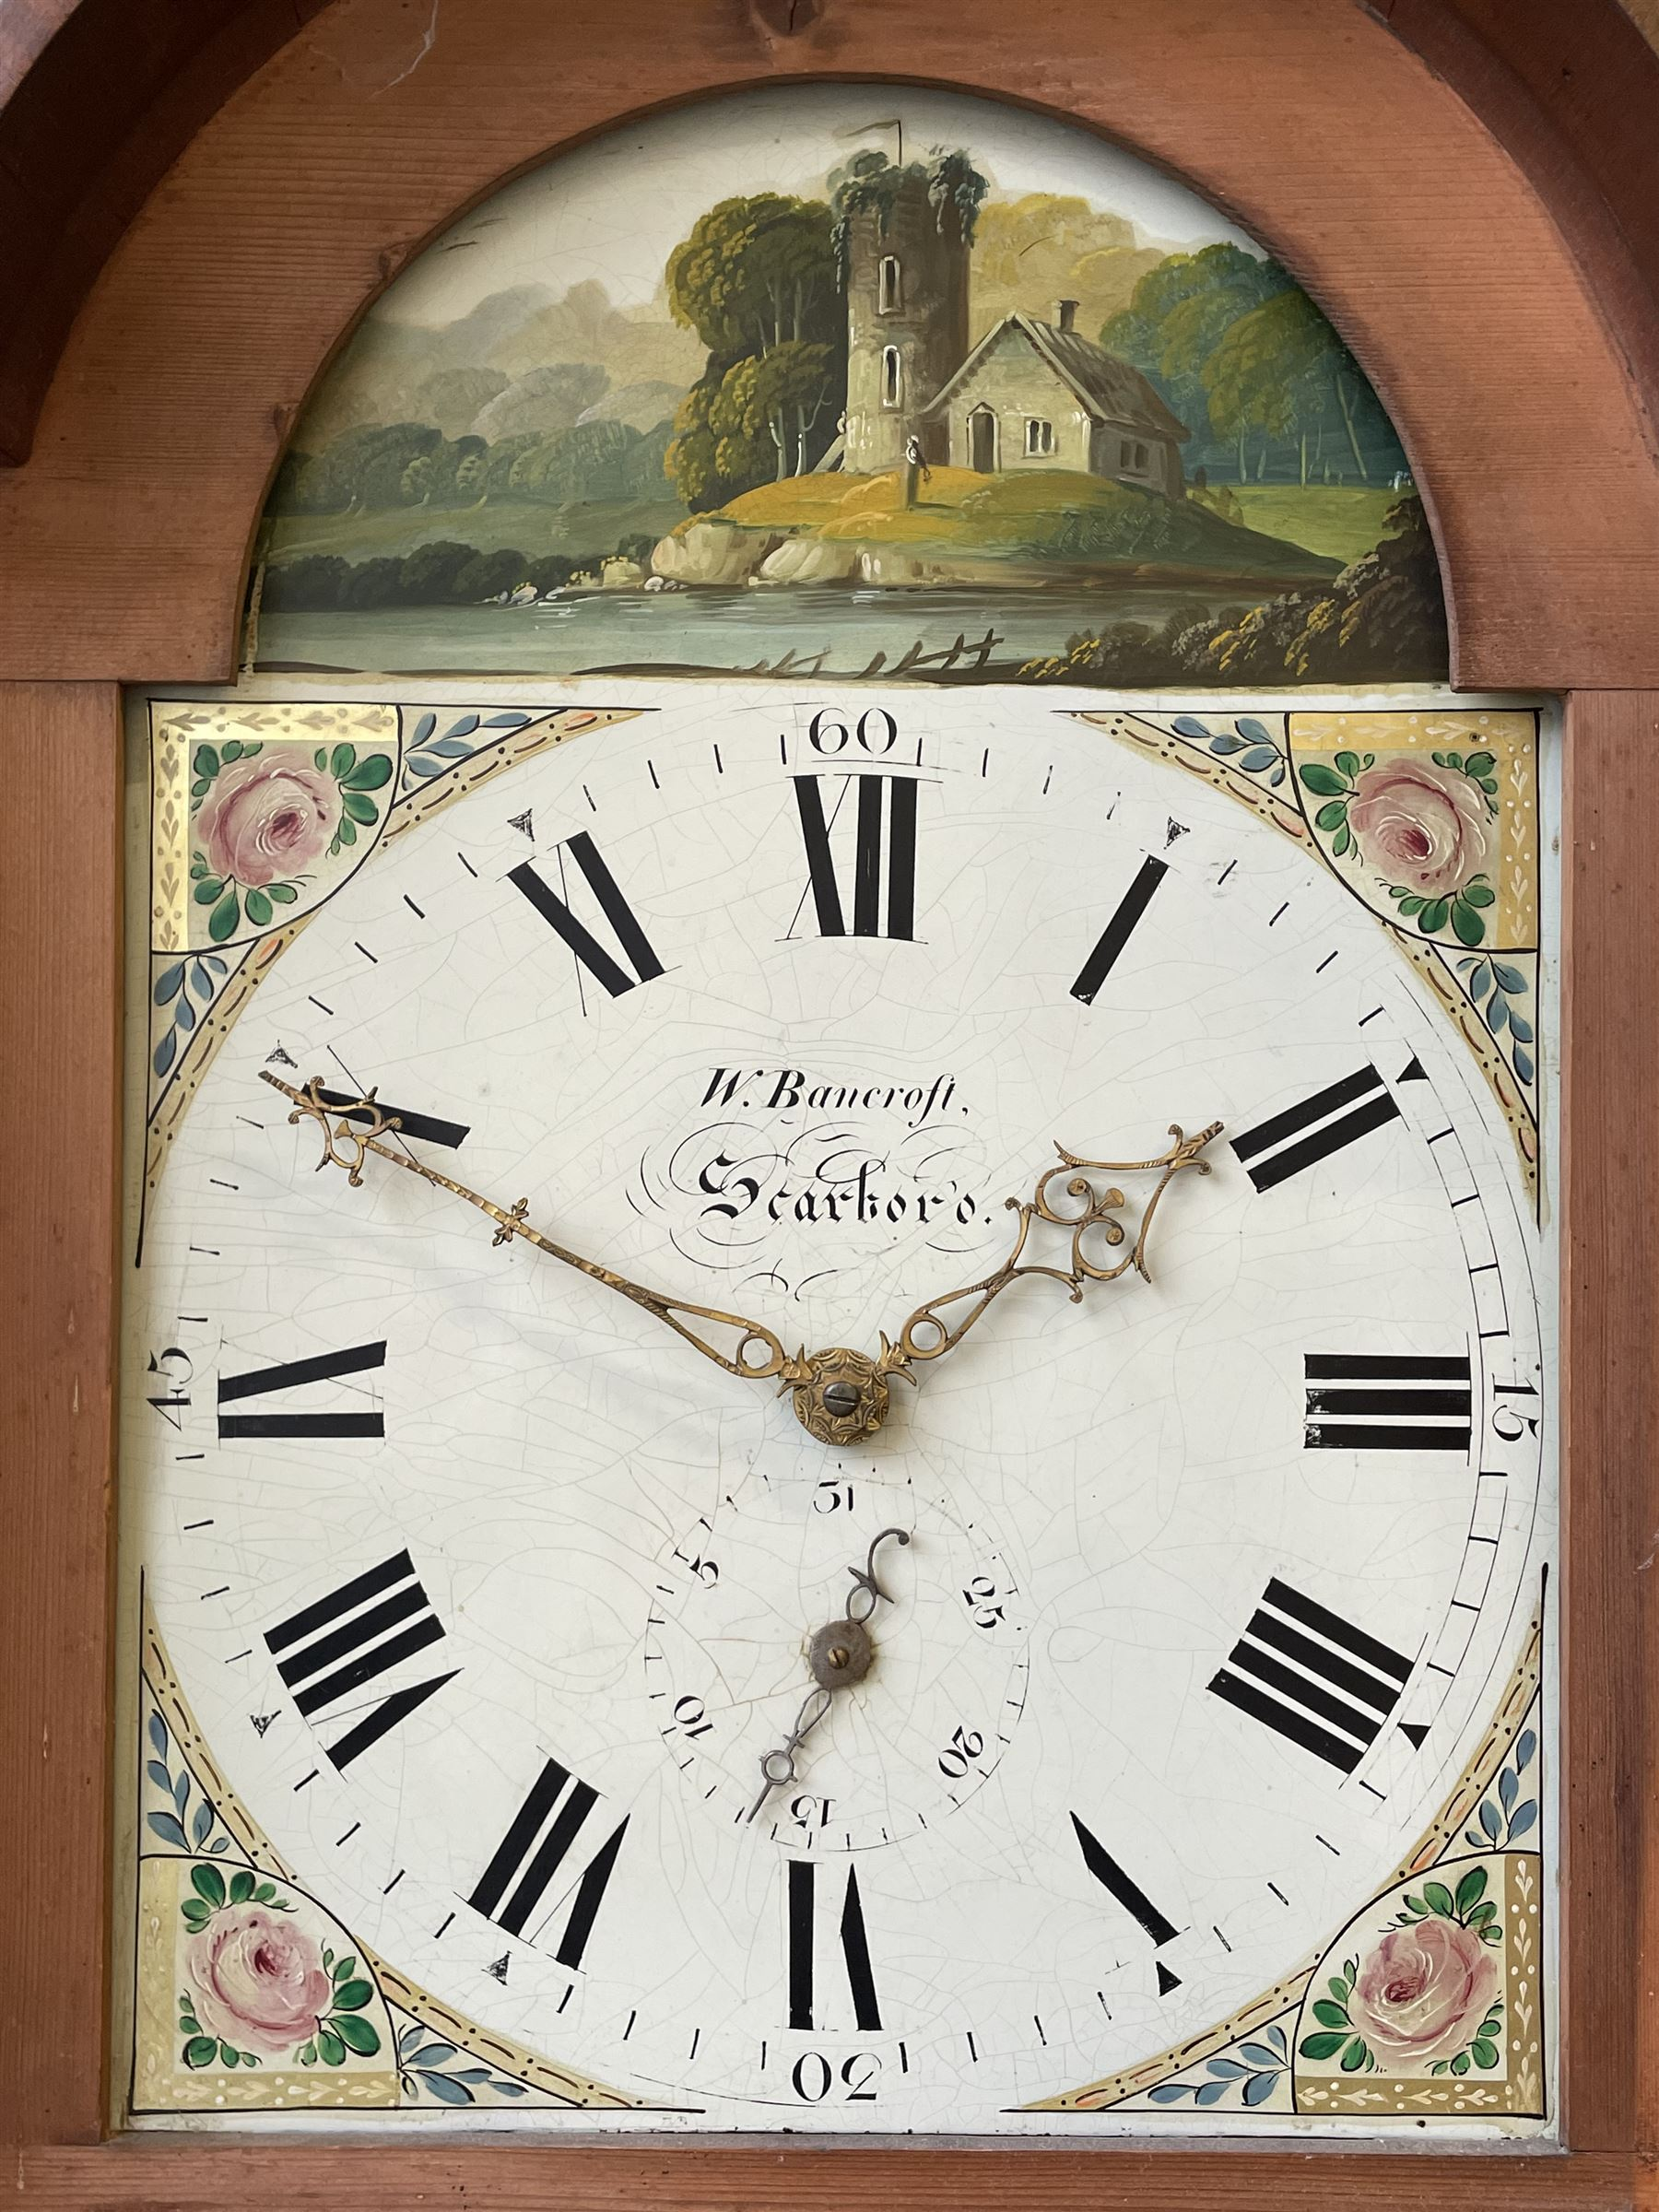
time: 1:49
